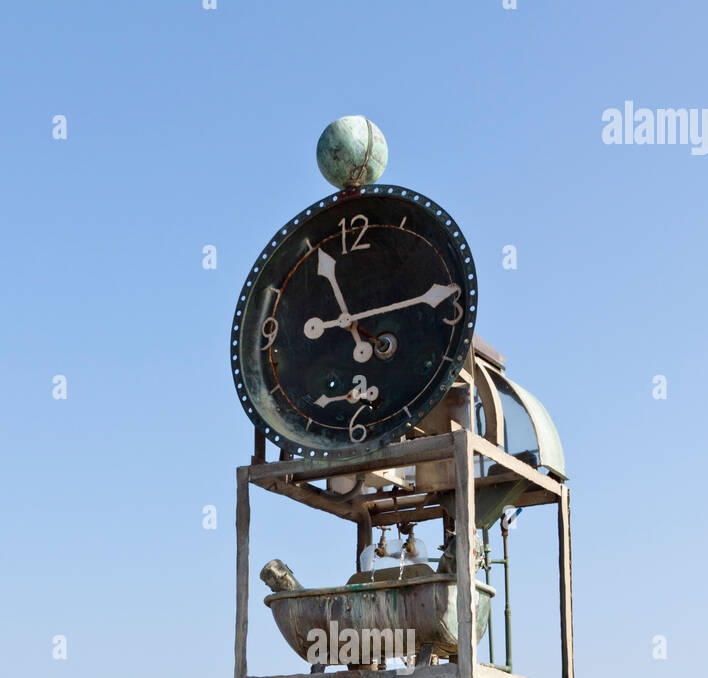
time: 11:13
